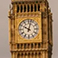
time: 10:02
